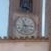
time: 11:13
